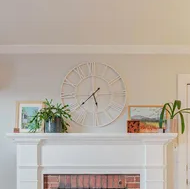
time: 5:38
